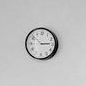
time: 2:51
